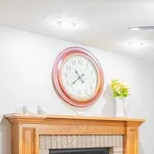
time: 10:37
